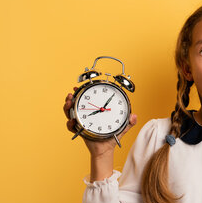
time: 8:05
